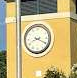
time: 8:19
